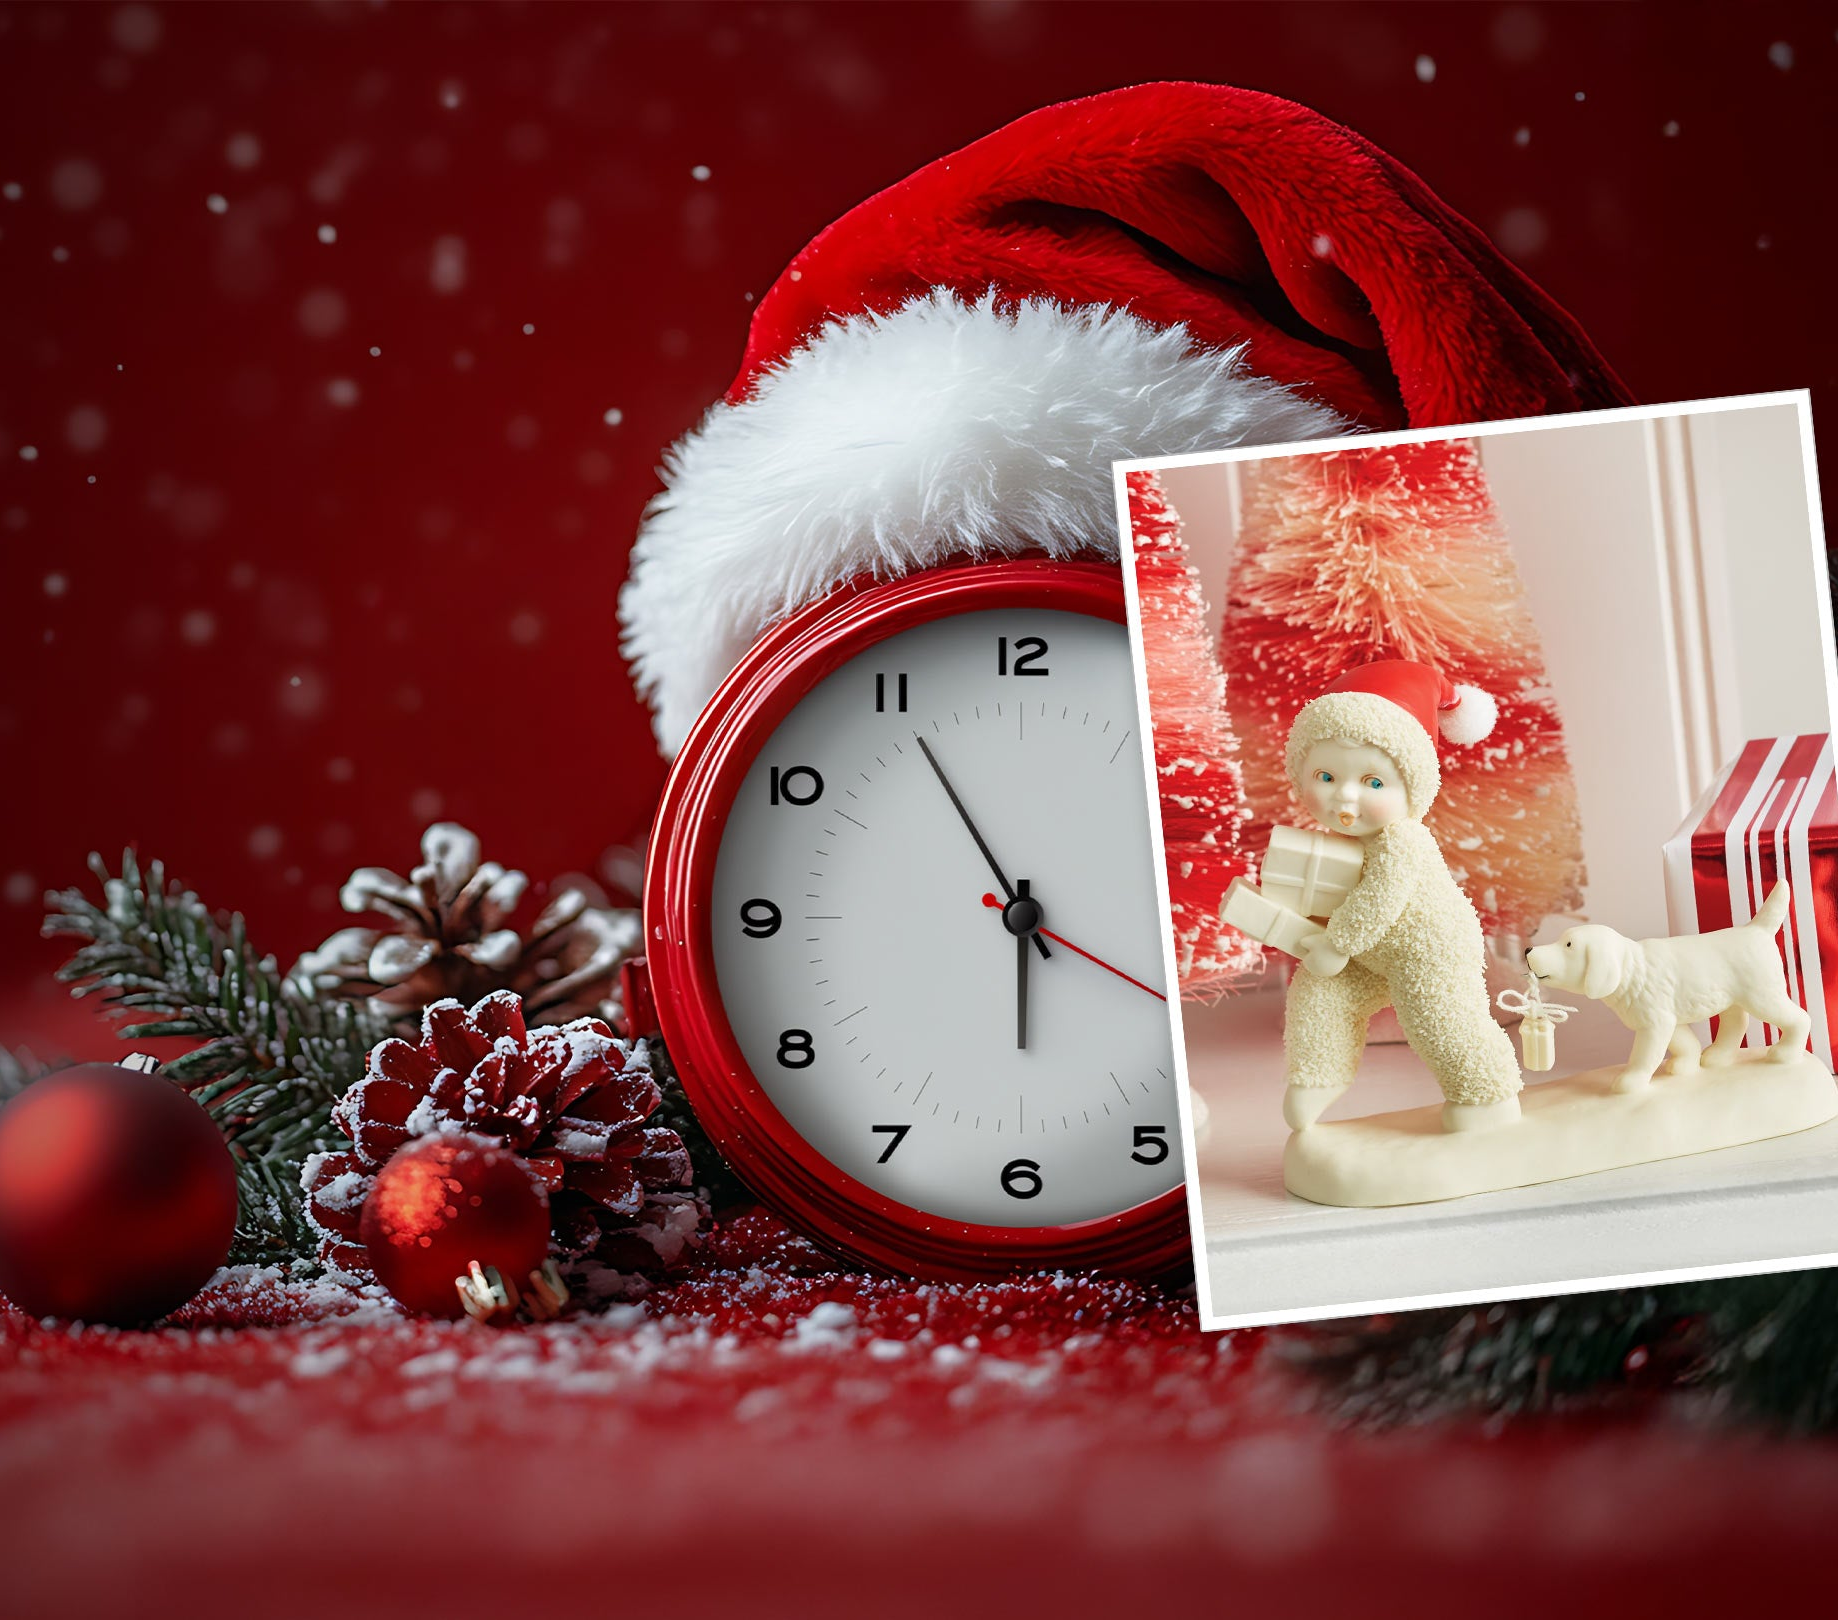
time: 5:54
